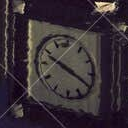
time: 3:48
